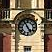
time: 4:55
